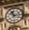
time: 11:13
